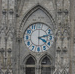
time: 4:13
